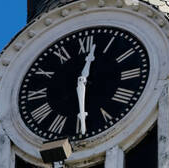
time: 12:29
